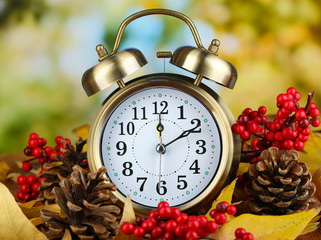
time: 2:00
